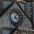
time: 4:04
